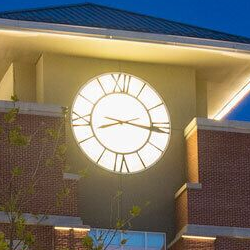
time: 8:16
